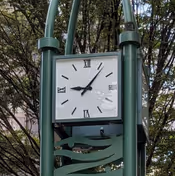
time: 9:06
